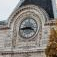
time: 3:43
